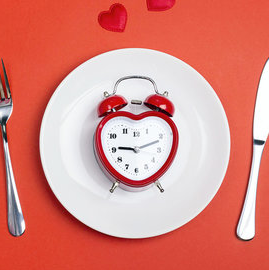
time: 9:11
